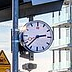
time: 2:37
